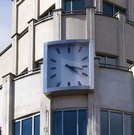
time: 4:17
